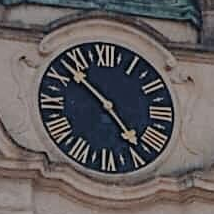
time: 4:52
